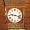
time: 9:18
